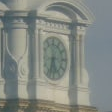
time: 5:33
